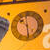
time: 10:28
